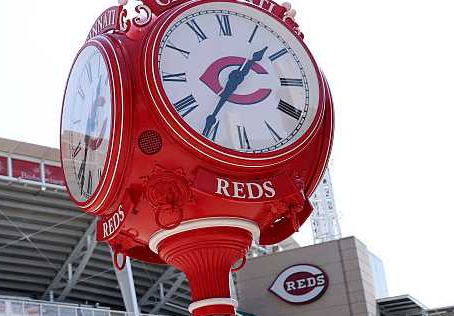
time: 1:35
